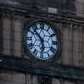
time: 5:51
